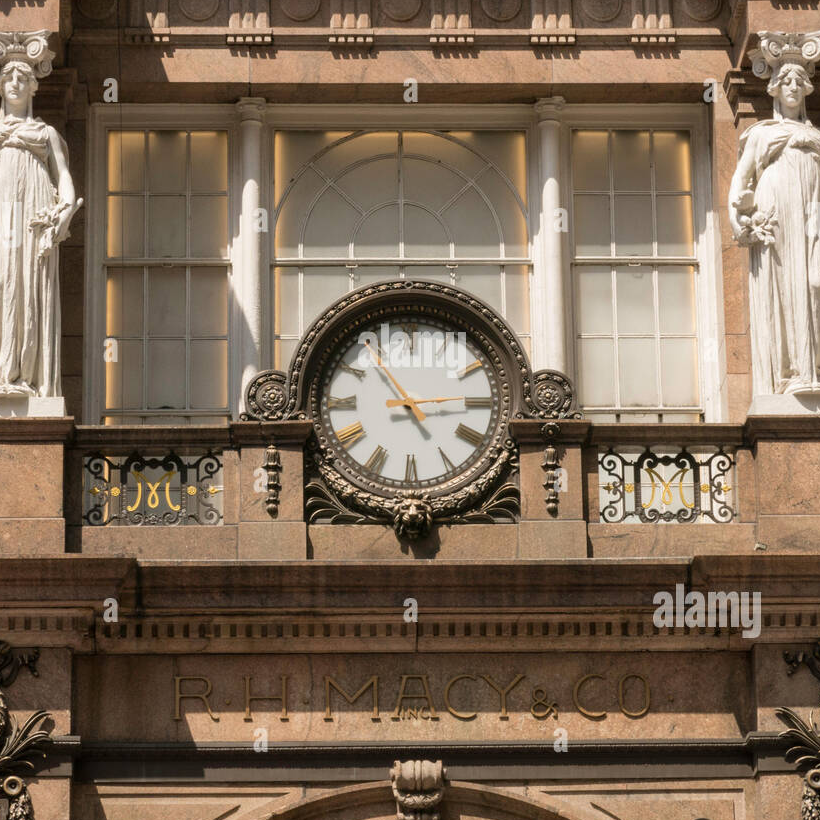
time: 2:53
